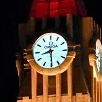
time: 8:29
